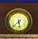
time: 5:37
